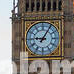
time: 9:05
